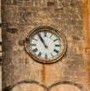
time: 10:55
